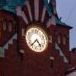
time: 4:37
